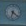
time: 6:21
